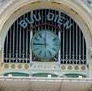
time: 11:45
